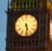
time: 5:29
